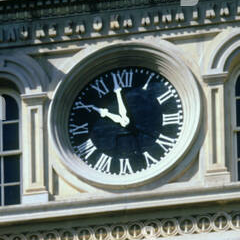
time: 9:58
